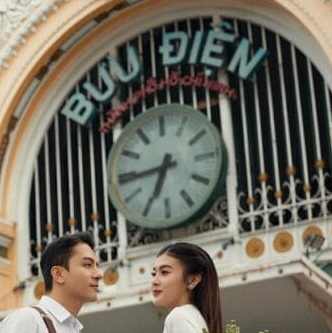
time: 6:44
